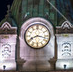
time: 8:17
